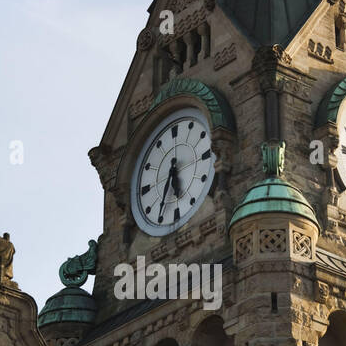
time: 5:35
